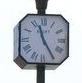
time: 11:24
